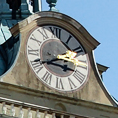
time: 3:40
